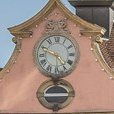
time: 4:48
